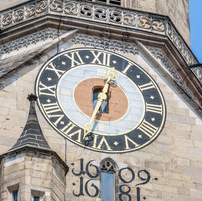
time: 12:32
